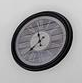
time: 11:37
